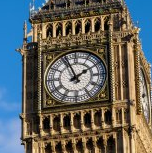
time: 1:56
